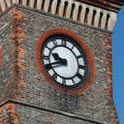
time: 9:41
